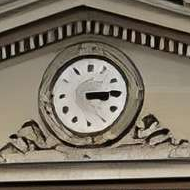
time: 3:14
